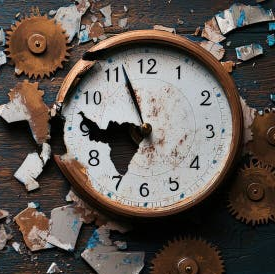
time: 8:56
